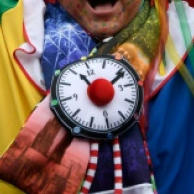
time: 11:11
